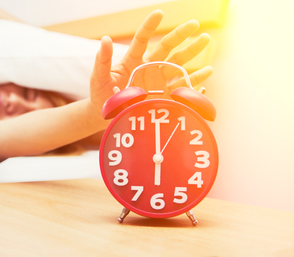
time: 5:59
